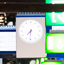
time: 7:30
